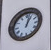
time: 1:02
